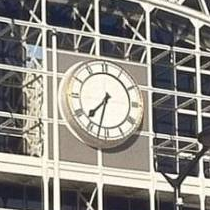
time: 7:32
